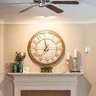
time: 11:35
